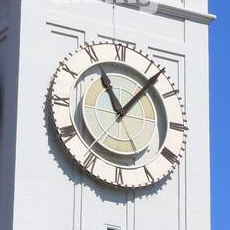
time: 11:07
